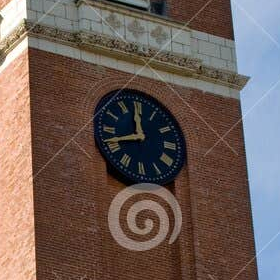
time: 11:41
